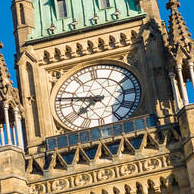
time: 7:47
